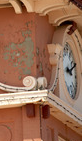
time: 3:11
